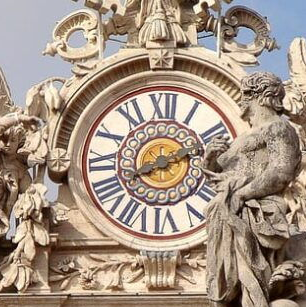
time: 8:12
